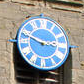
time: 2:48
